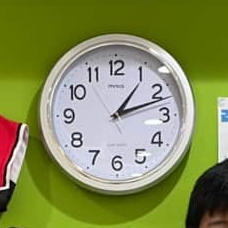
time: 1:11
